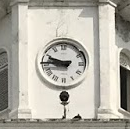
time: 9:44
